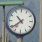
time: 10:38
